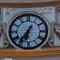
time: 6:36
